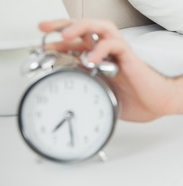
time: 7:29
